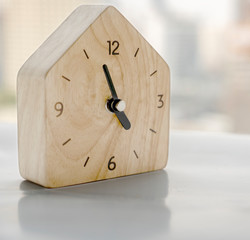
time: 4:57
